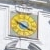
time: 3:48
